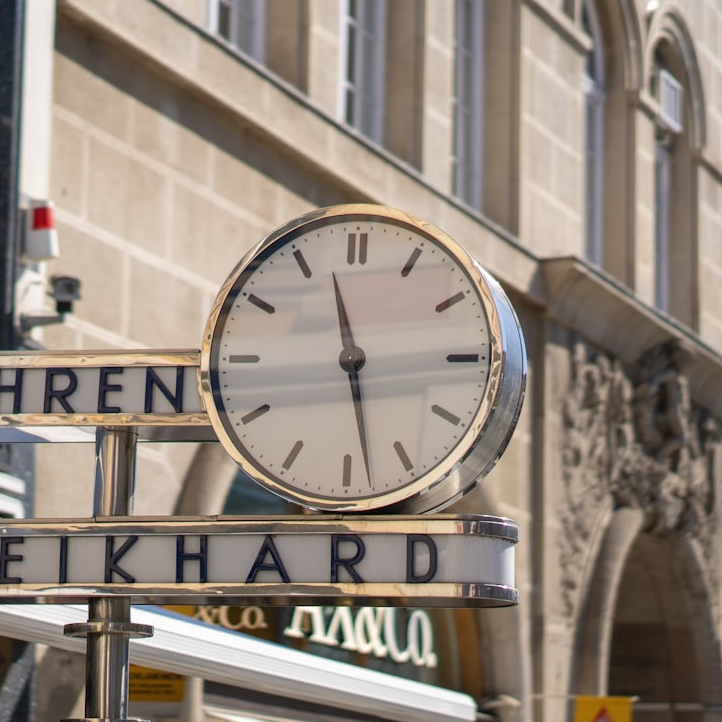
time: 11:28
